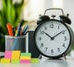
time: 10:09
